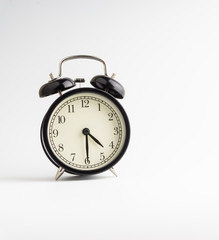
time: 4:29
